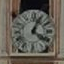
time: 4:04
